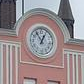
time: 12:54
